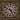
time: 4:50
